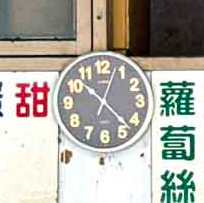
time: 10:22
